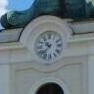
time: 10:37
